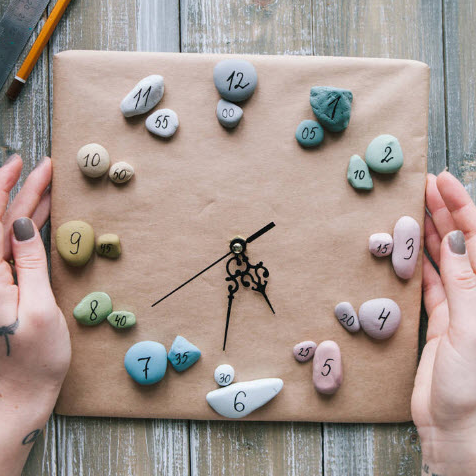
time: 4:31
